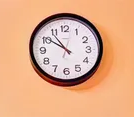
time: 10:50
